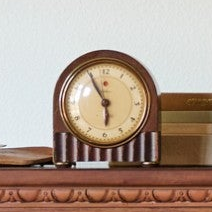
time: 5:55
